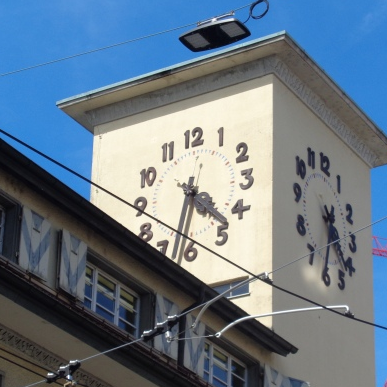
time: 4:32
